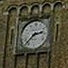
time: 2:38
